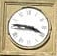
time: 3:46
